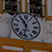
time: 10:32
